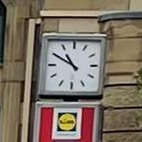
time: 10:50
